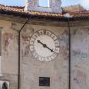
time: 10:20
